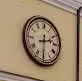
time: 2:30
